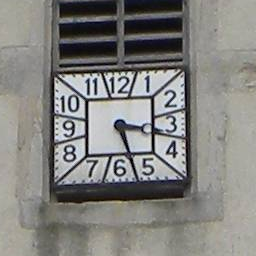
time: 3:27
